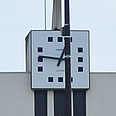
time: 12:46
